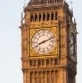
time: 8:11
